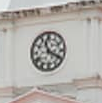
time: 11:19
